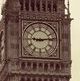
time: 9:13
